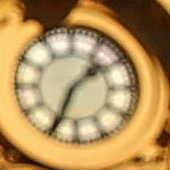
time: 1:34
